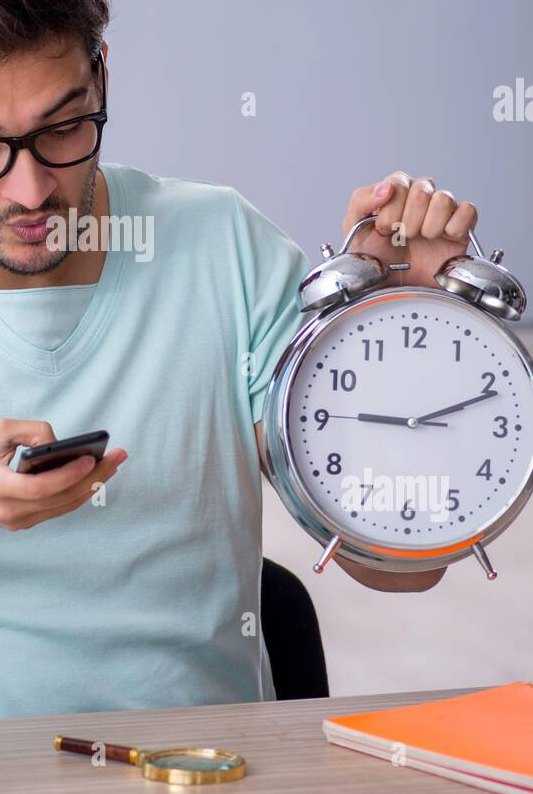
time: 9:11
